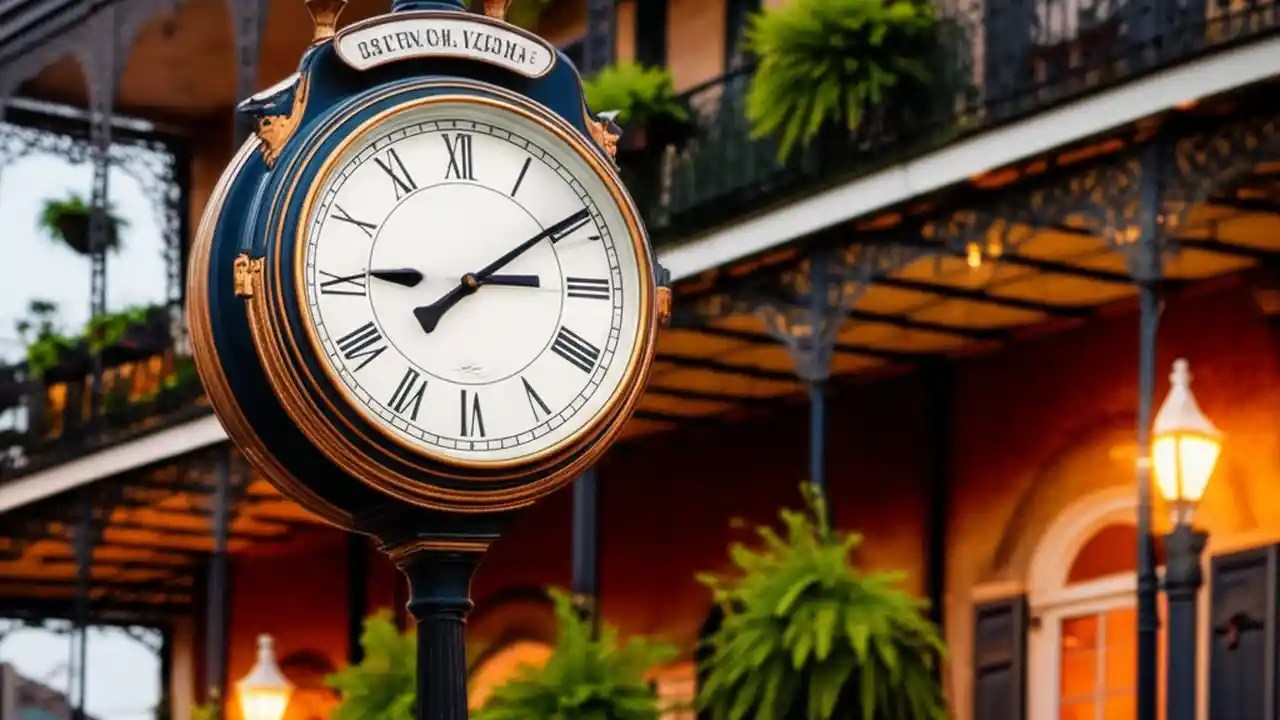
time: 3:09
